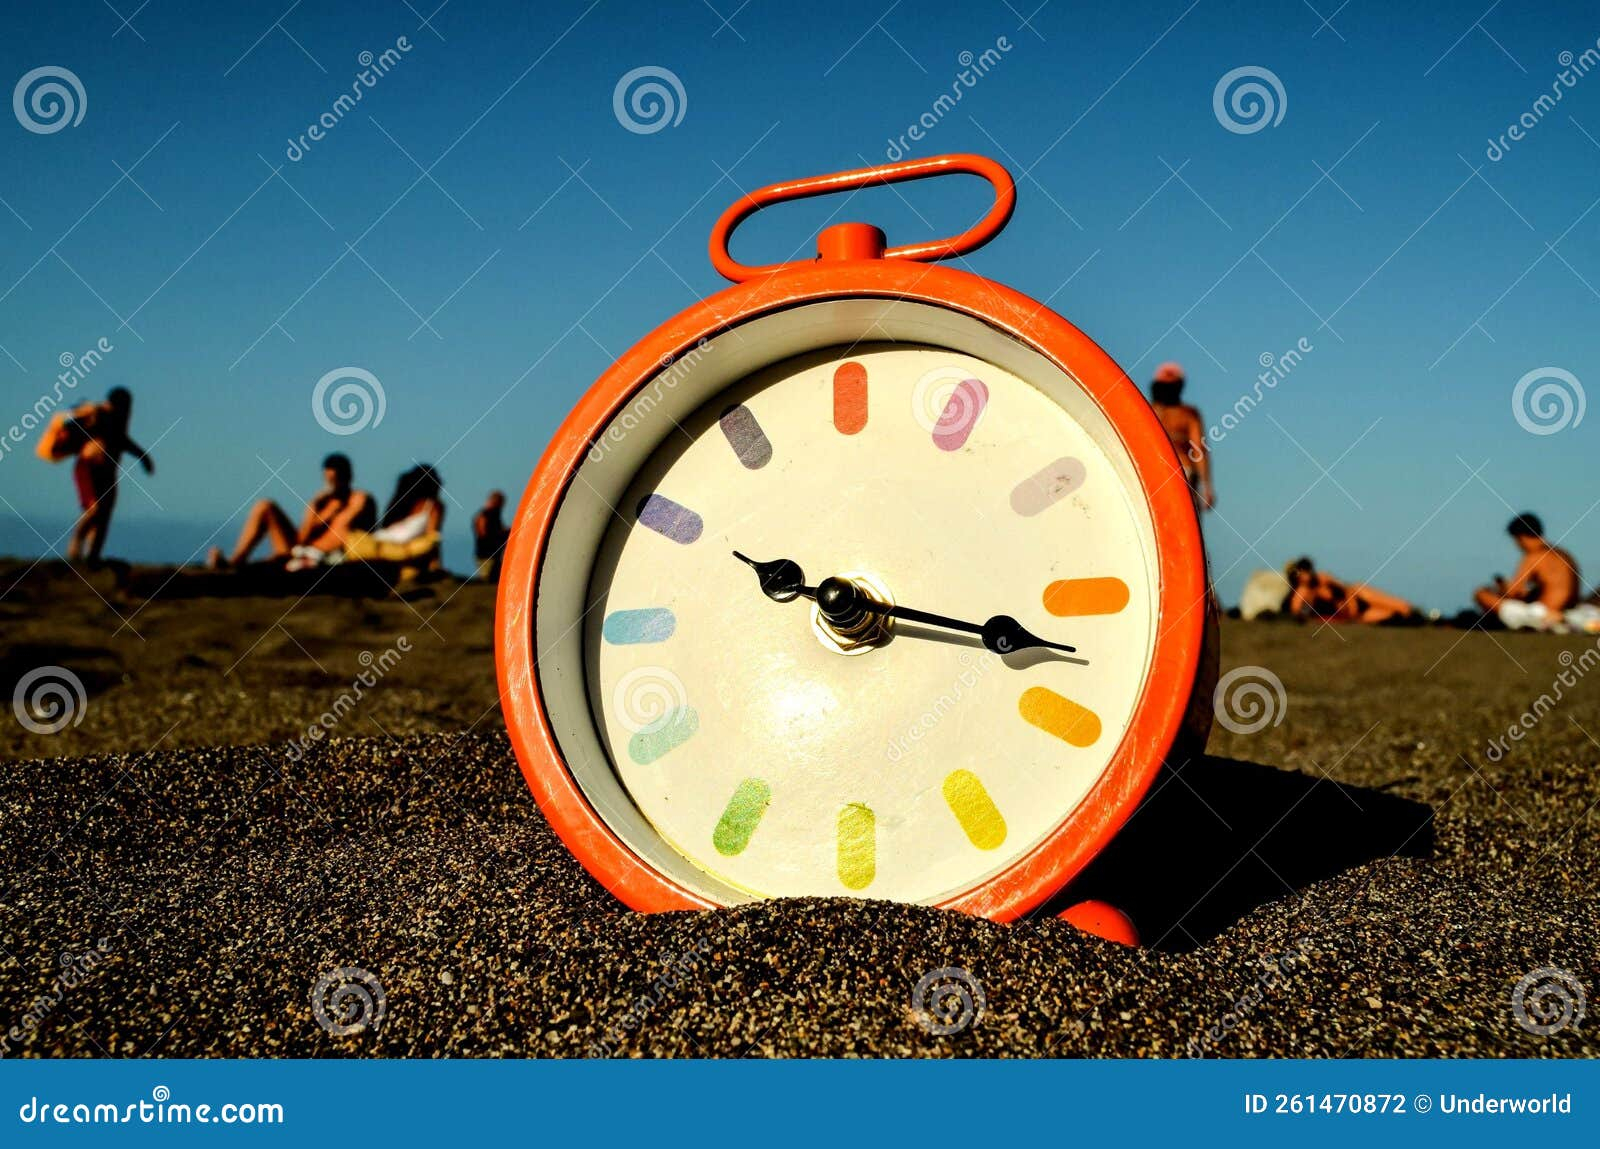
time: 10:17
